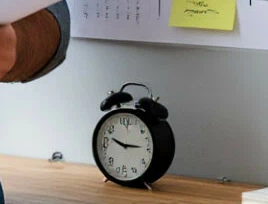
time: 2:48
